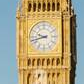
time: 9:42
